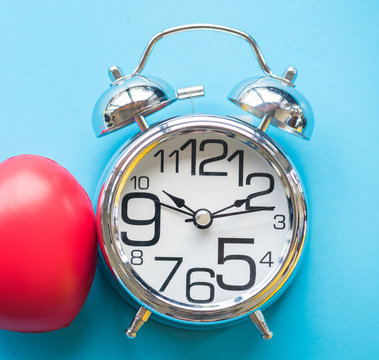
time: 10:10
